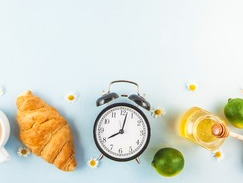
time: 8:02
